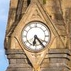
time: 6:23
